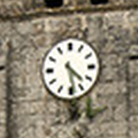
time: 4:28
